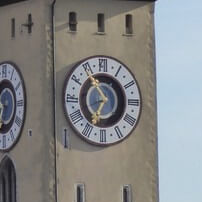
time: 6:55
